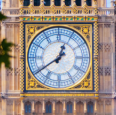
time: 12:39
